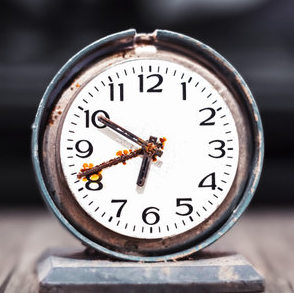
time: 6:41
